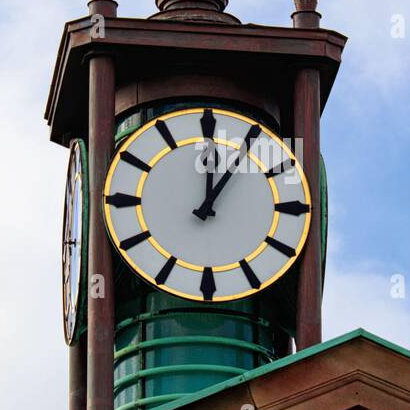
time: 12:05
